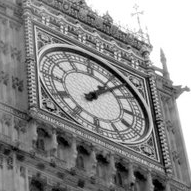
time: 1:07
